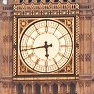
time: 5:43
